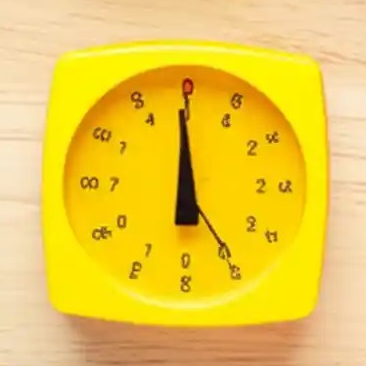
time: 5:59
